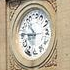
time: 10:45
